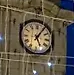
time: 5:05
